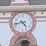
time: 4:42
